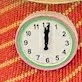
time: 12:01
